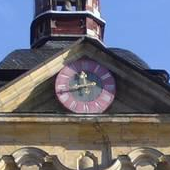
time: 11:41
